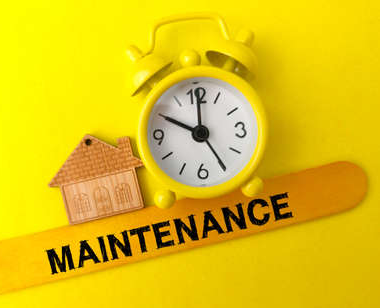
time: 10:00
